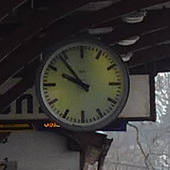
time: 9:53
